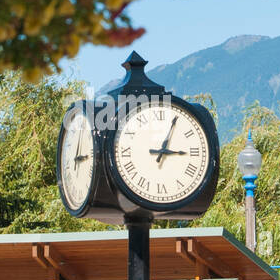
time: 3:04
